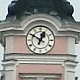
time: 12:49
